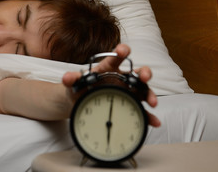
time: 6:01
